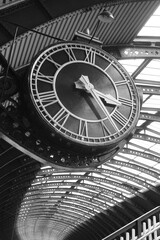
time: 3:24
